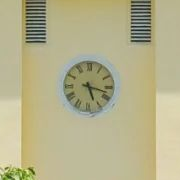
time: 5:17
